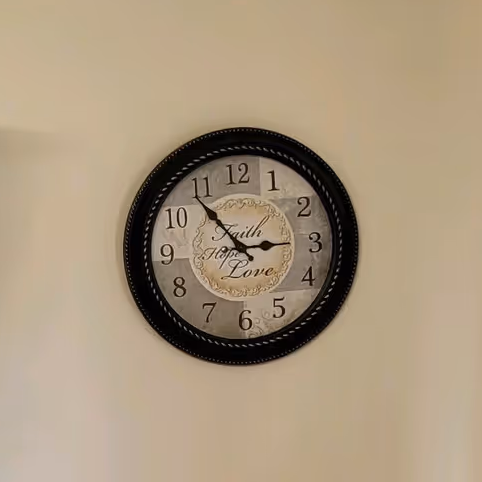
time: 2:53
